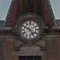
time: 4:49
